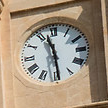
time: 11:29
